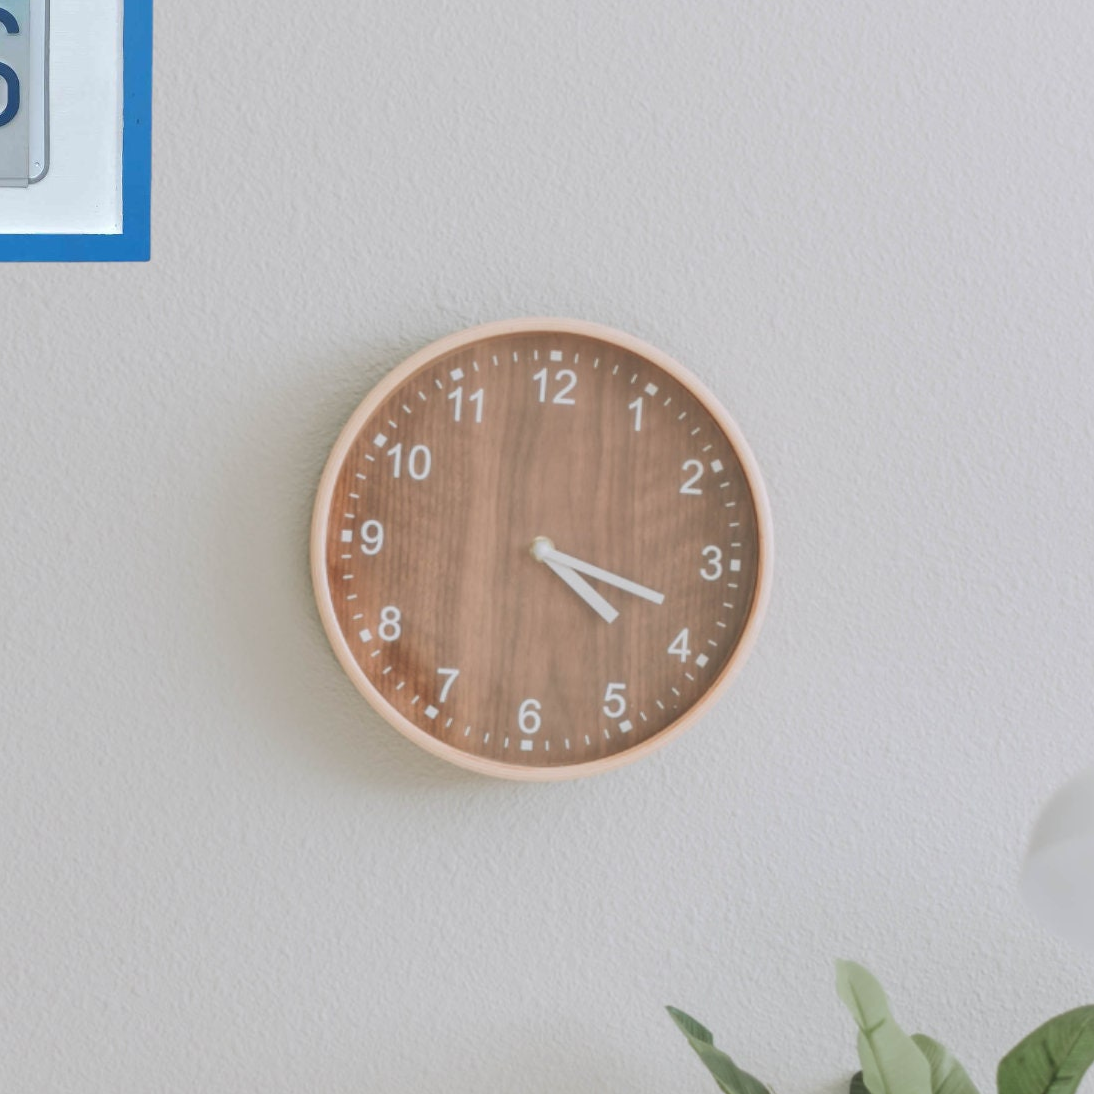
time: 4:18
